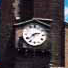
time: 2:38
